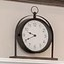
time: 9:41
